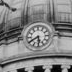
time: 5:40
